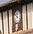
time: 11:51
